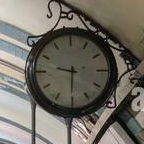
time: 9:30
